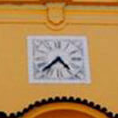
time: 4:37
